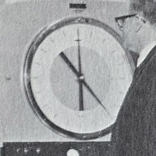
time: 10:28
